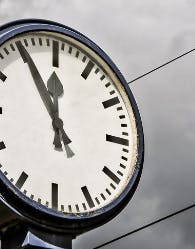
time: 11:55
